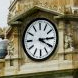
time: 4:14
